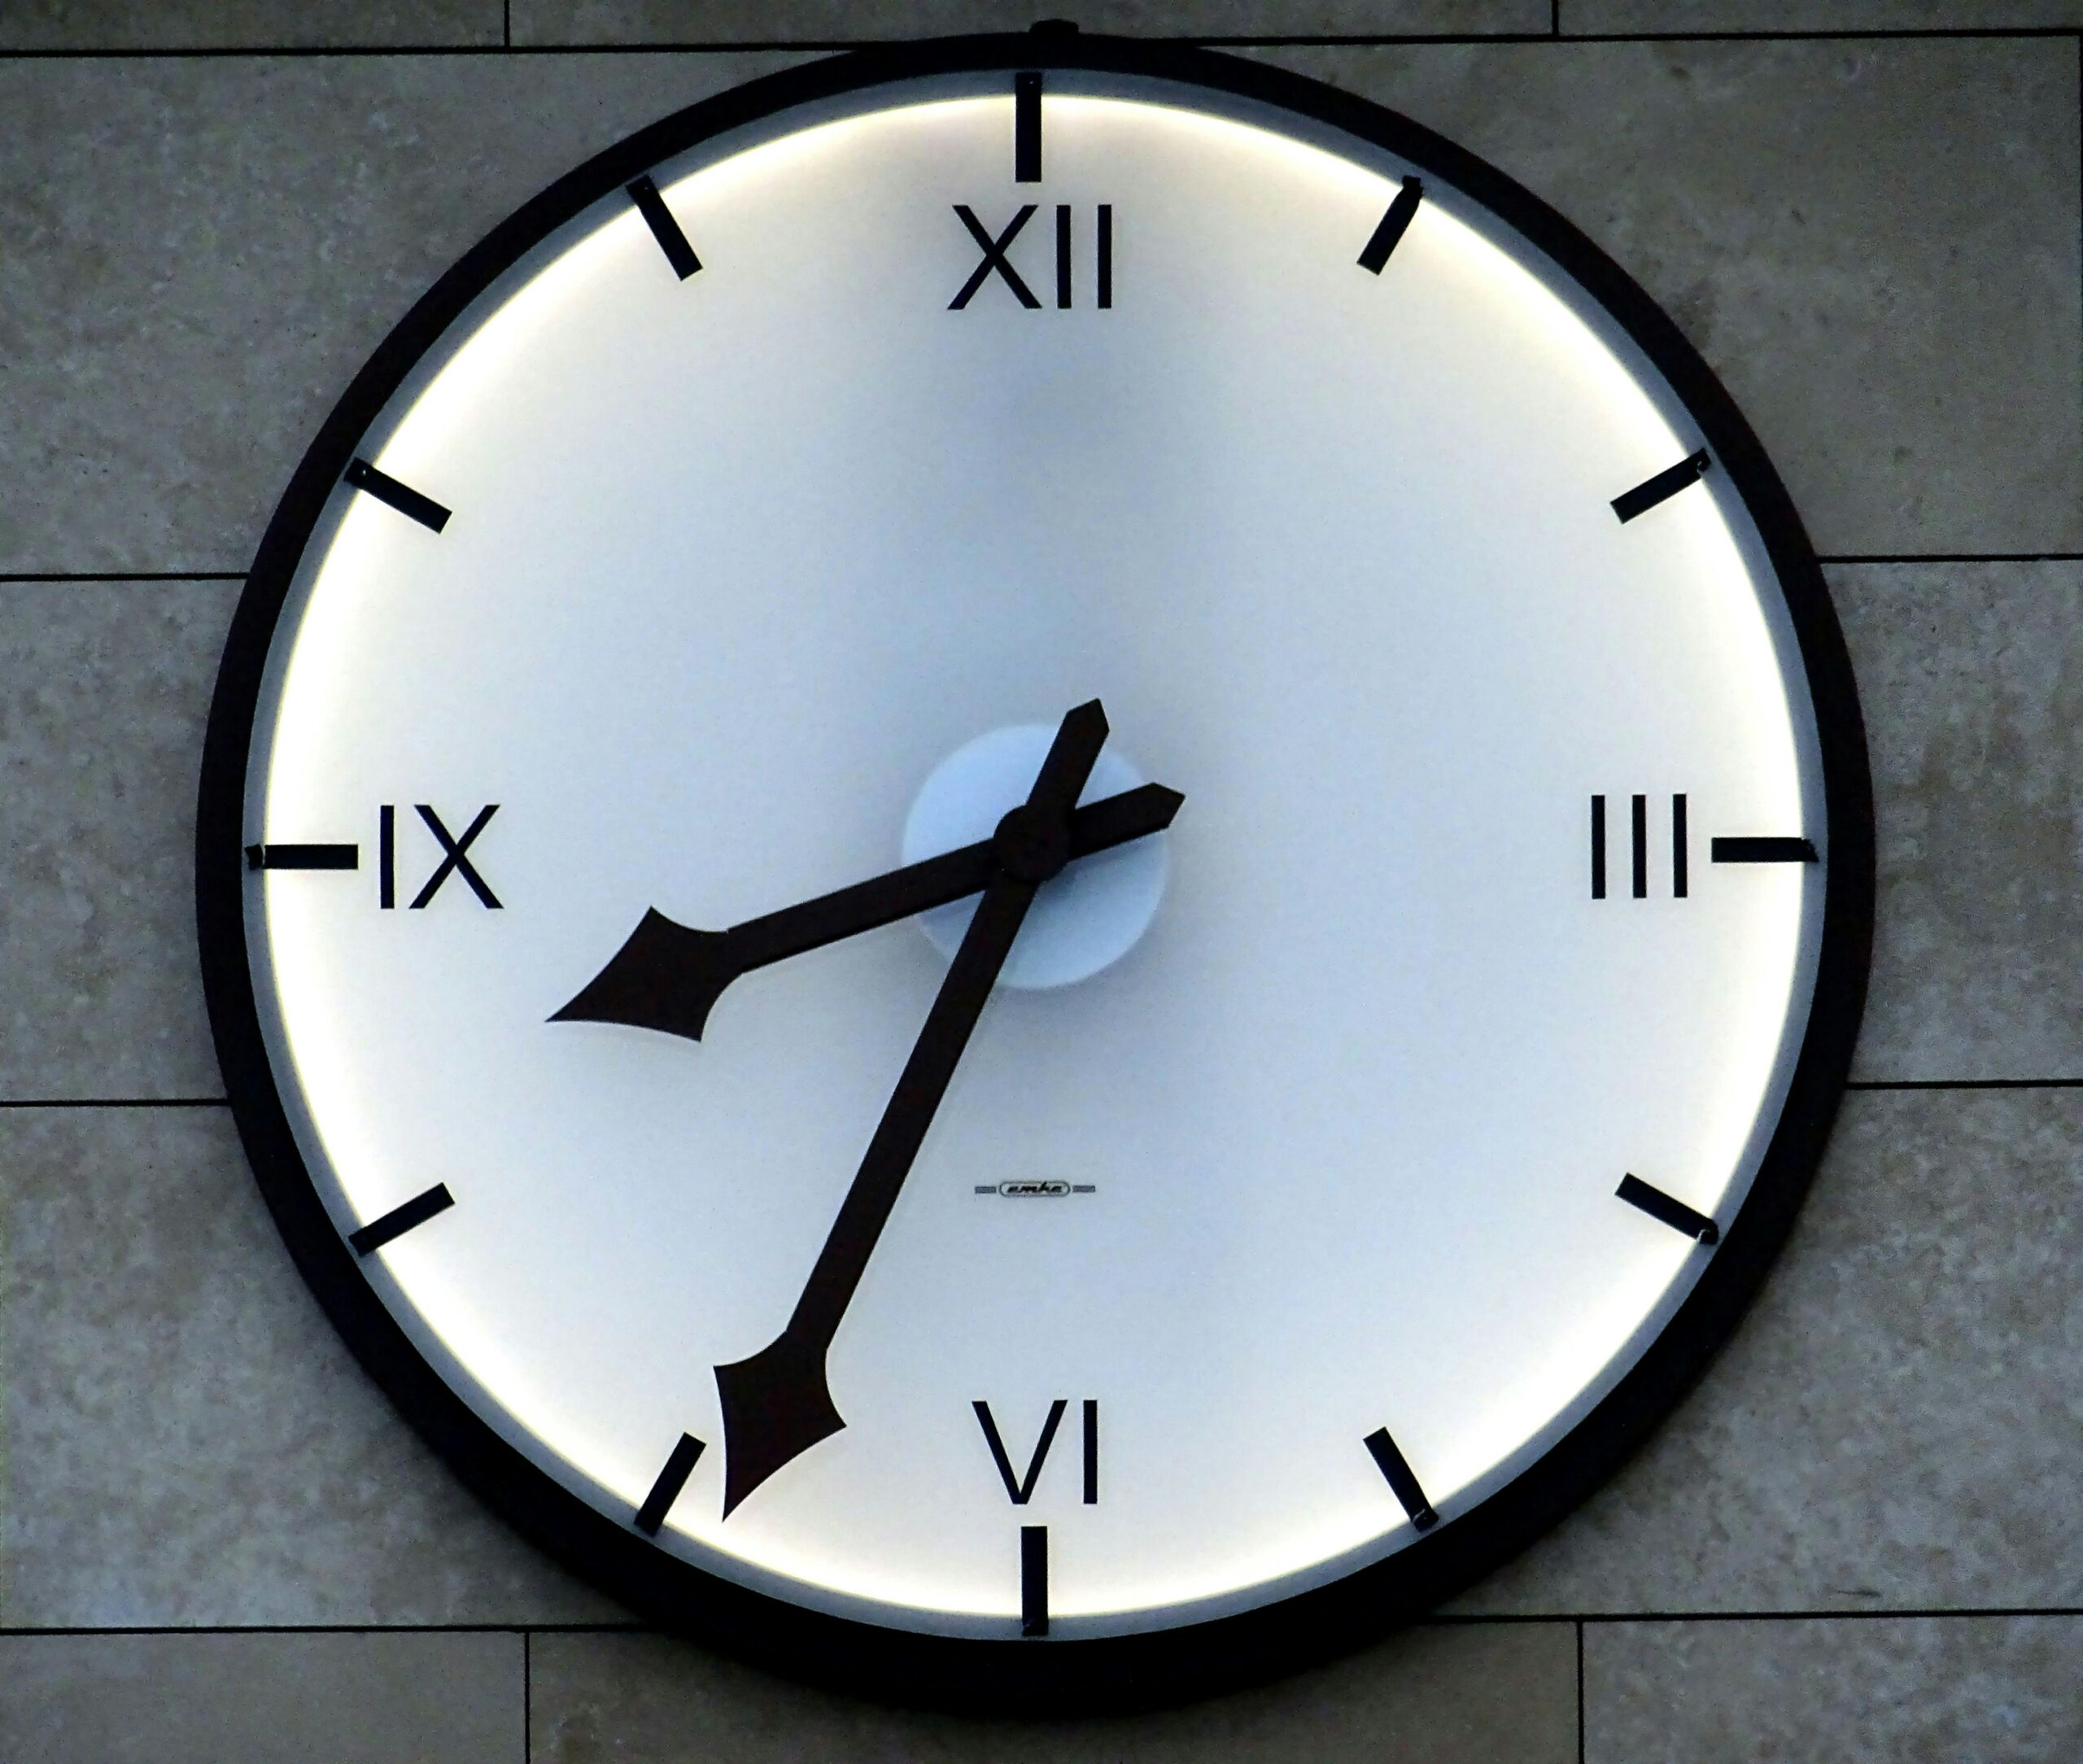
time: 8:34
